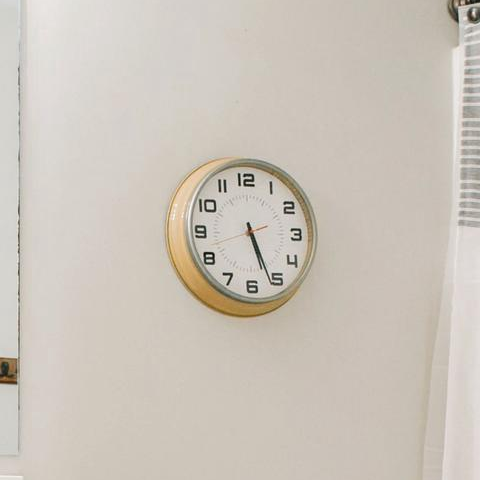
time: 5:26
